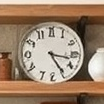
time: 3:24
